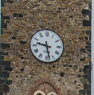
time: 9:28
